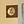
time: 12:23
